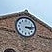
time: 3:13
